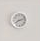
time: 8:12
